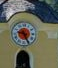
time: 9:25
